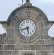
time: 5:42
